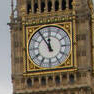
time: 11:54
